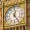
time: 12:24
